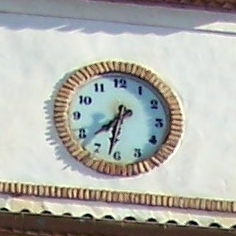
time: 7:31
